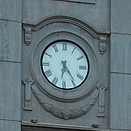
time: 6:23
